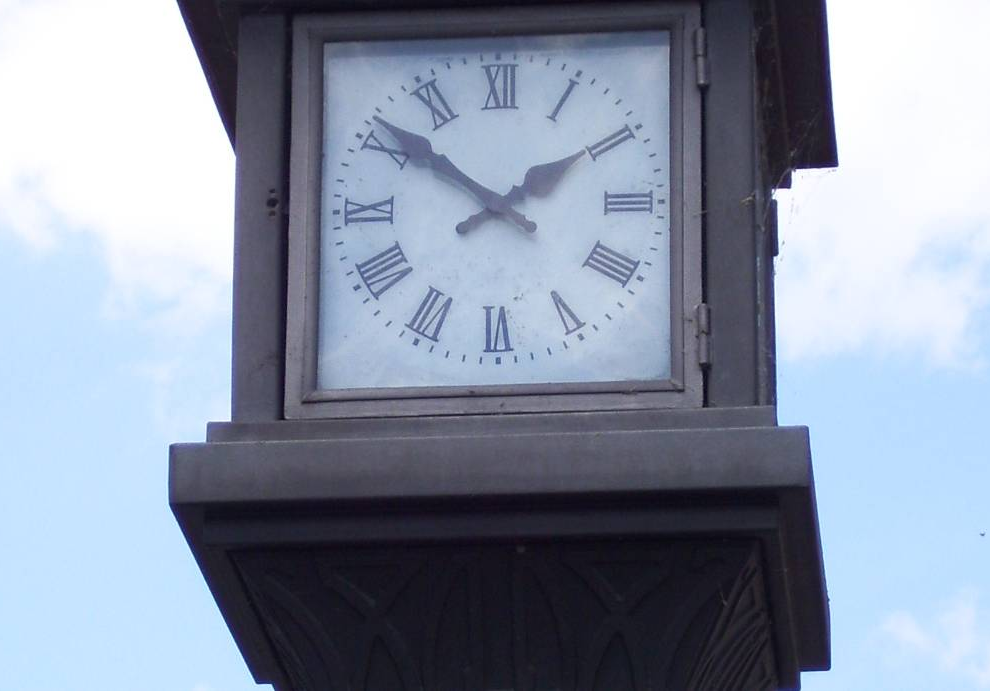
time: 1:51
